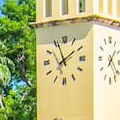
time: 1:56
